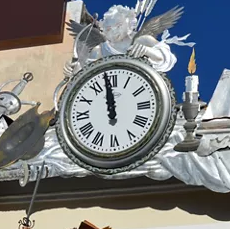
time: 11:58
